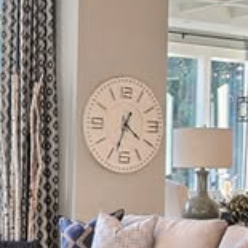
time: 4:33
